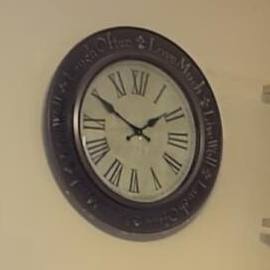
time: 1:50
